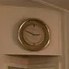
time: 2:48
